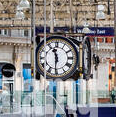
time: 11:31
